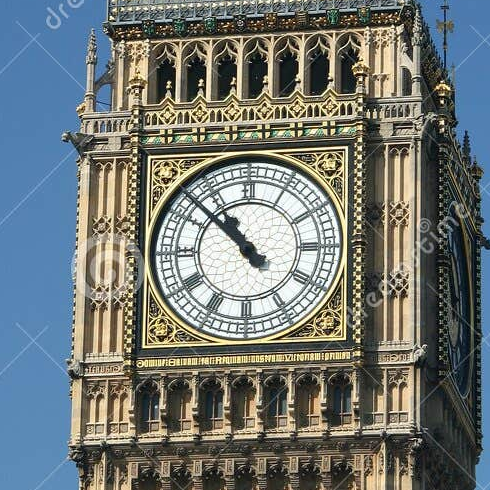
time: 10:52
